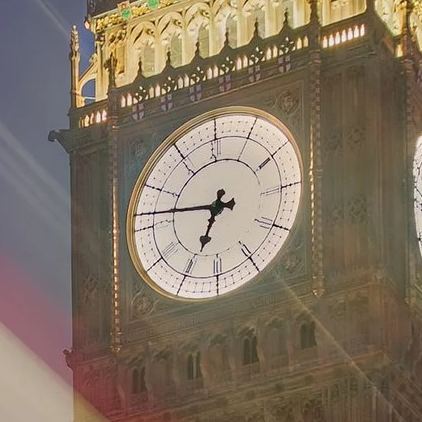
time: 6:46
